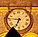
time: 6:46
